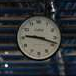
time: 9:18
